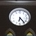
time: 6:23
